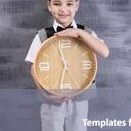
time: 11:32
